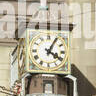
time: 4:04
